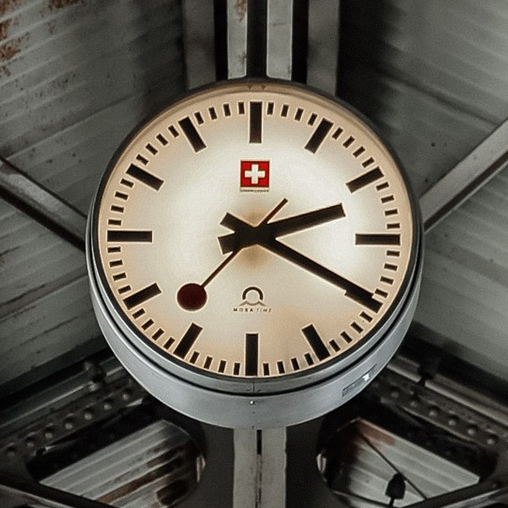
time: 2:19
